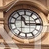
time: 11:14
